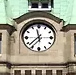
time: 11:37
